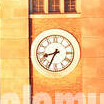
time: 8:34
